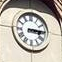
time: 3:14
